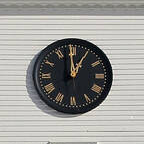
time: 12:59
